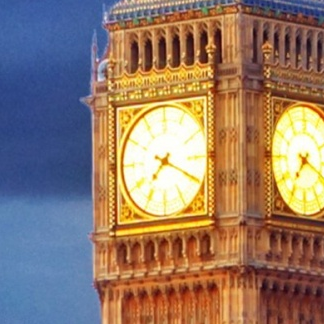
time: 7:19
